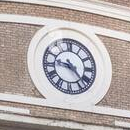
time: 9:22
